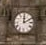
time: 12:10
